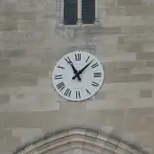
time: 11:07
